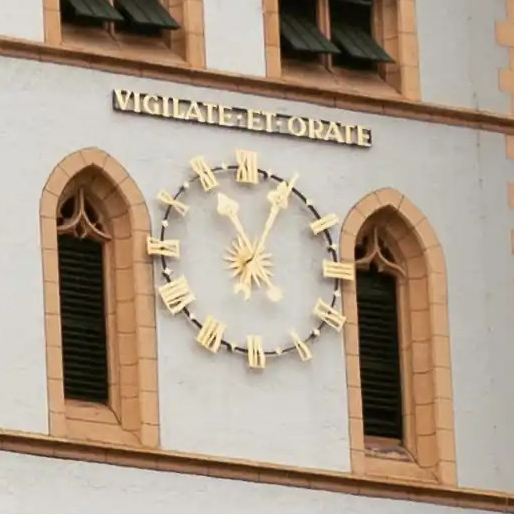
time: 11:04
